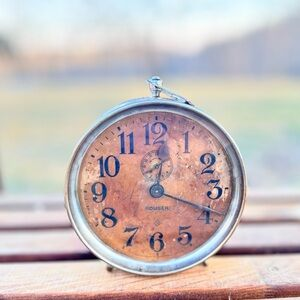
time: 12:19
